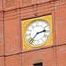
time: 2:37
